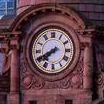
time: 7:40
